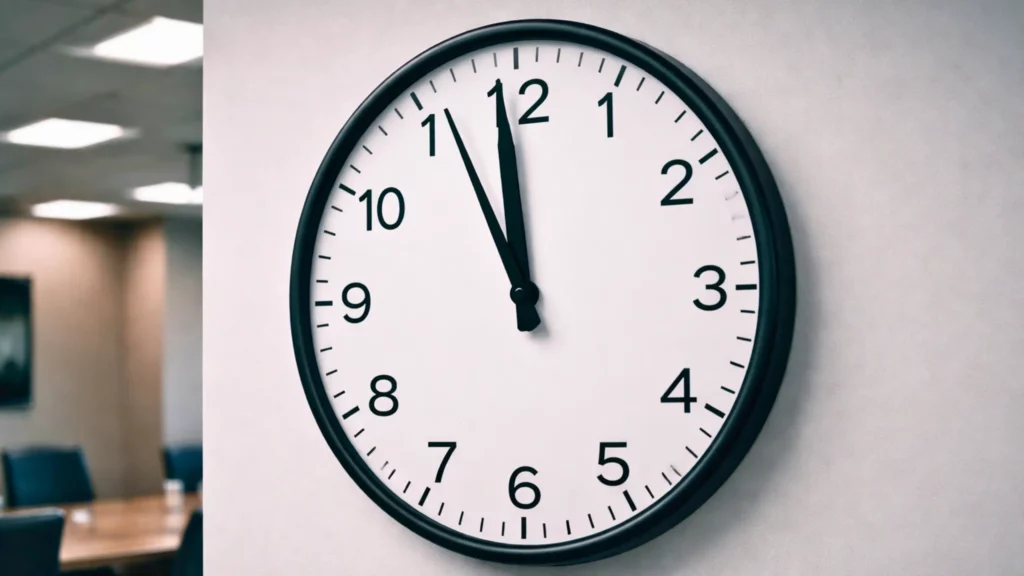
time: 11:55
